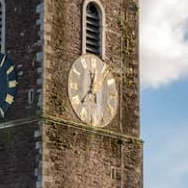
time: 12:37
